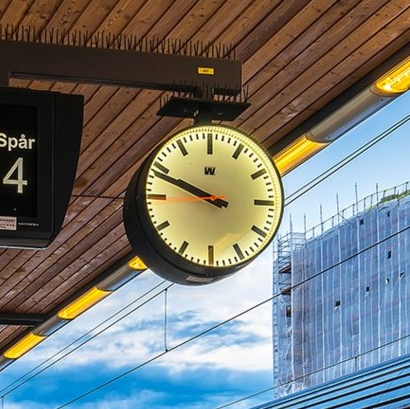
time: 9:48
